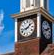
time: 1:42
